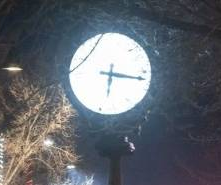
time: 6:17
